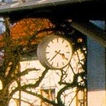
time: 3:37
